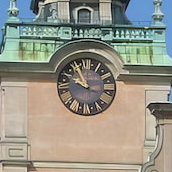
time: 9:55
